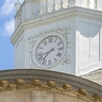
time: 7:42
